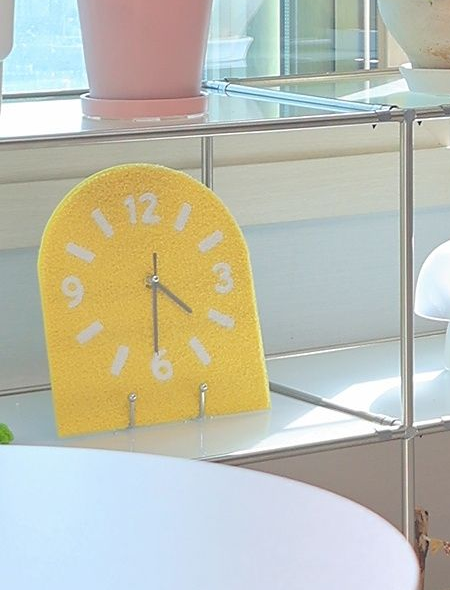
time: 4:30
